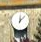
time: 12:07
